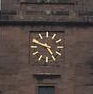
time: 4:48
